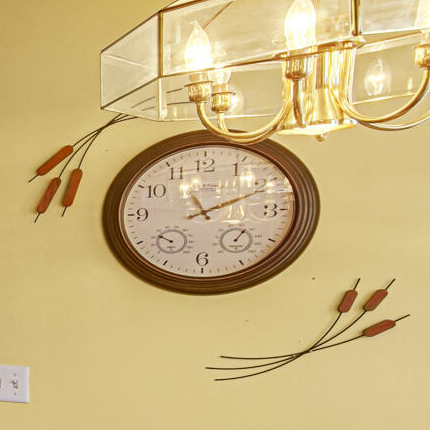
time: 11:10
